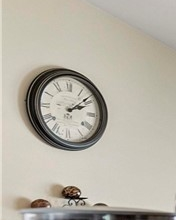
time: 2:08
